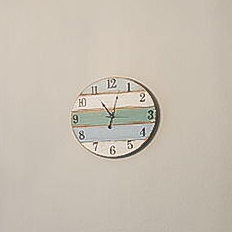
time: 11:02
